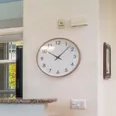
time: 10:07
